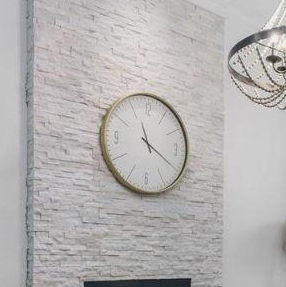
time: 11:20
